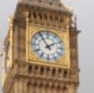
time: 1:54
